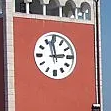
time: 2:58
